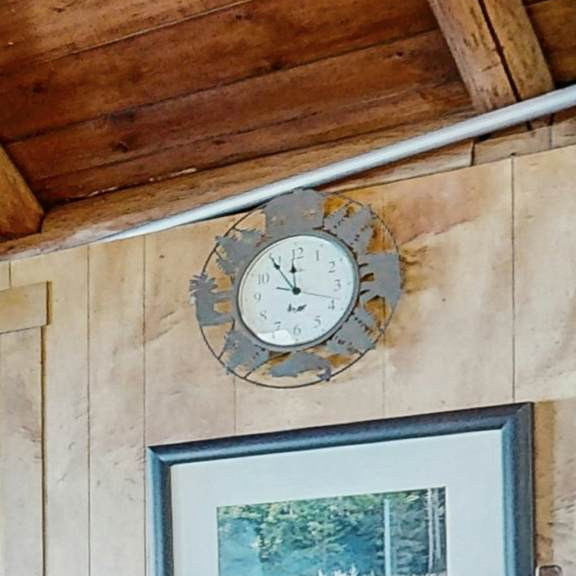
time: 11:54
